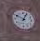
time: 12:49
